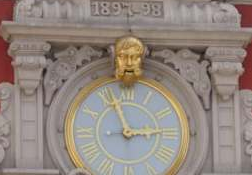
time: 2:56
